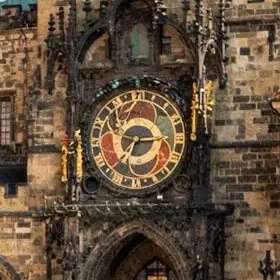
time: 7:15
